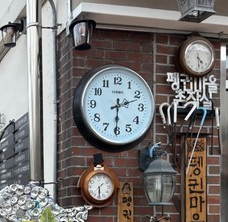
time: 2:30
